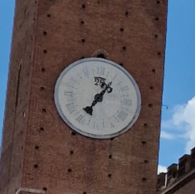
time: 7:06
